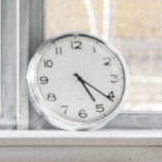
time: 5:21
